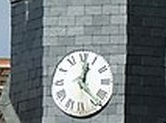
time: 12:23
